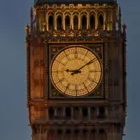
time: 9:09
